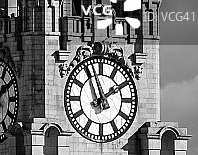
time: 1:56
